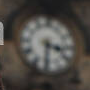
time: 3:30
